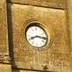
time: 8:16
